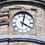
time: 4:02
